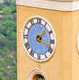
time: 1:18
